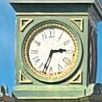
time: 2:33
